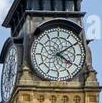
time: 4:09
